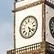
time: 5:21
